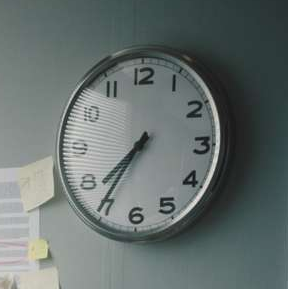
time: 7:35
